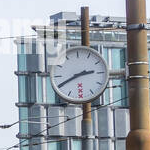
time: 2:40
